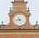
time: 8:26
